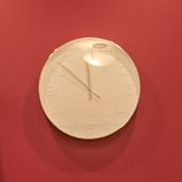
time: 11:51
